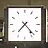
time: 7:23
